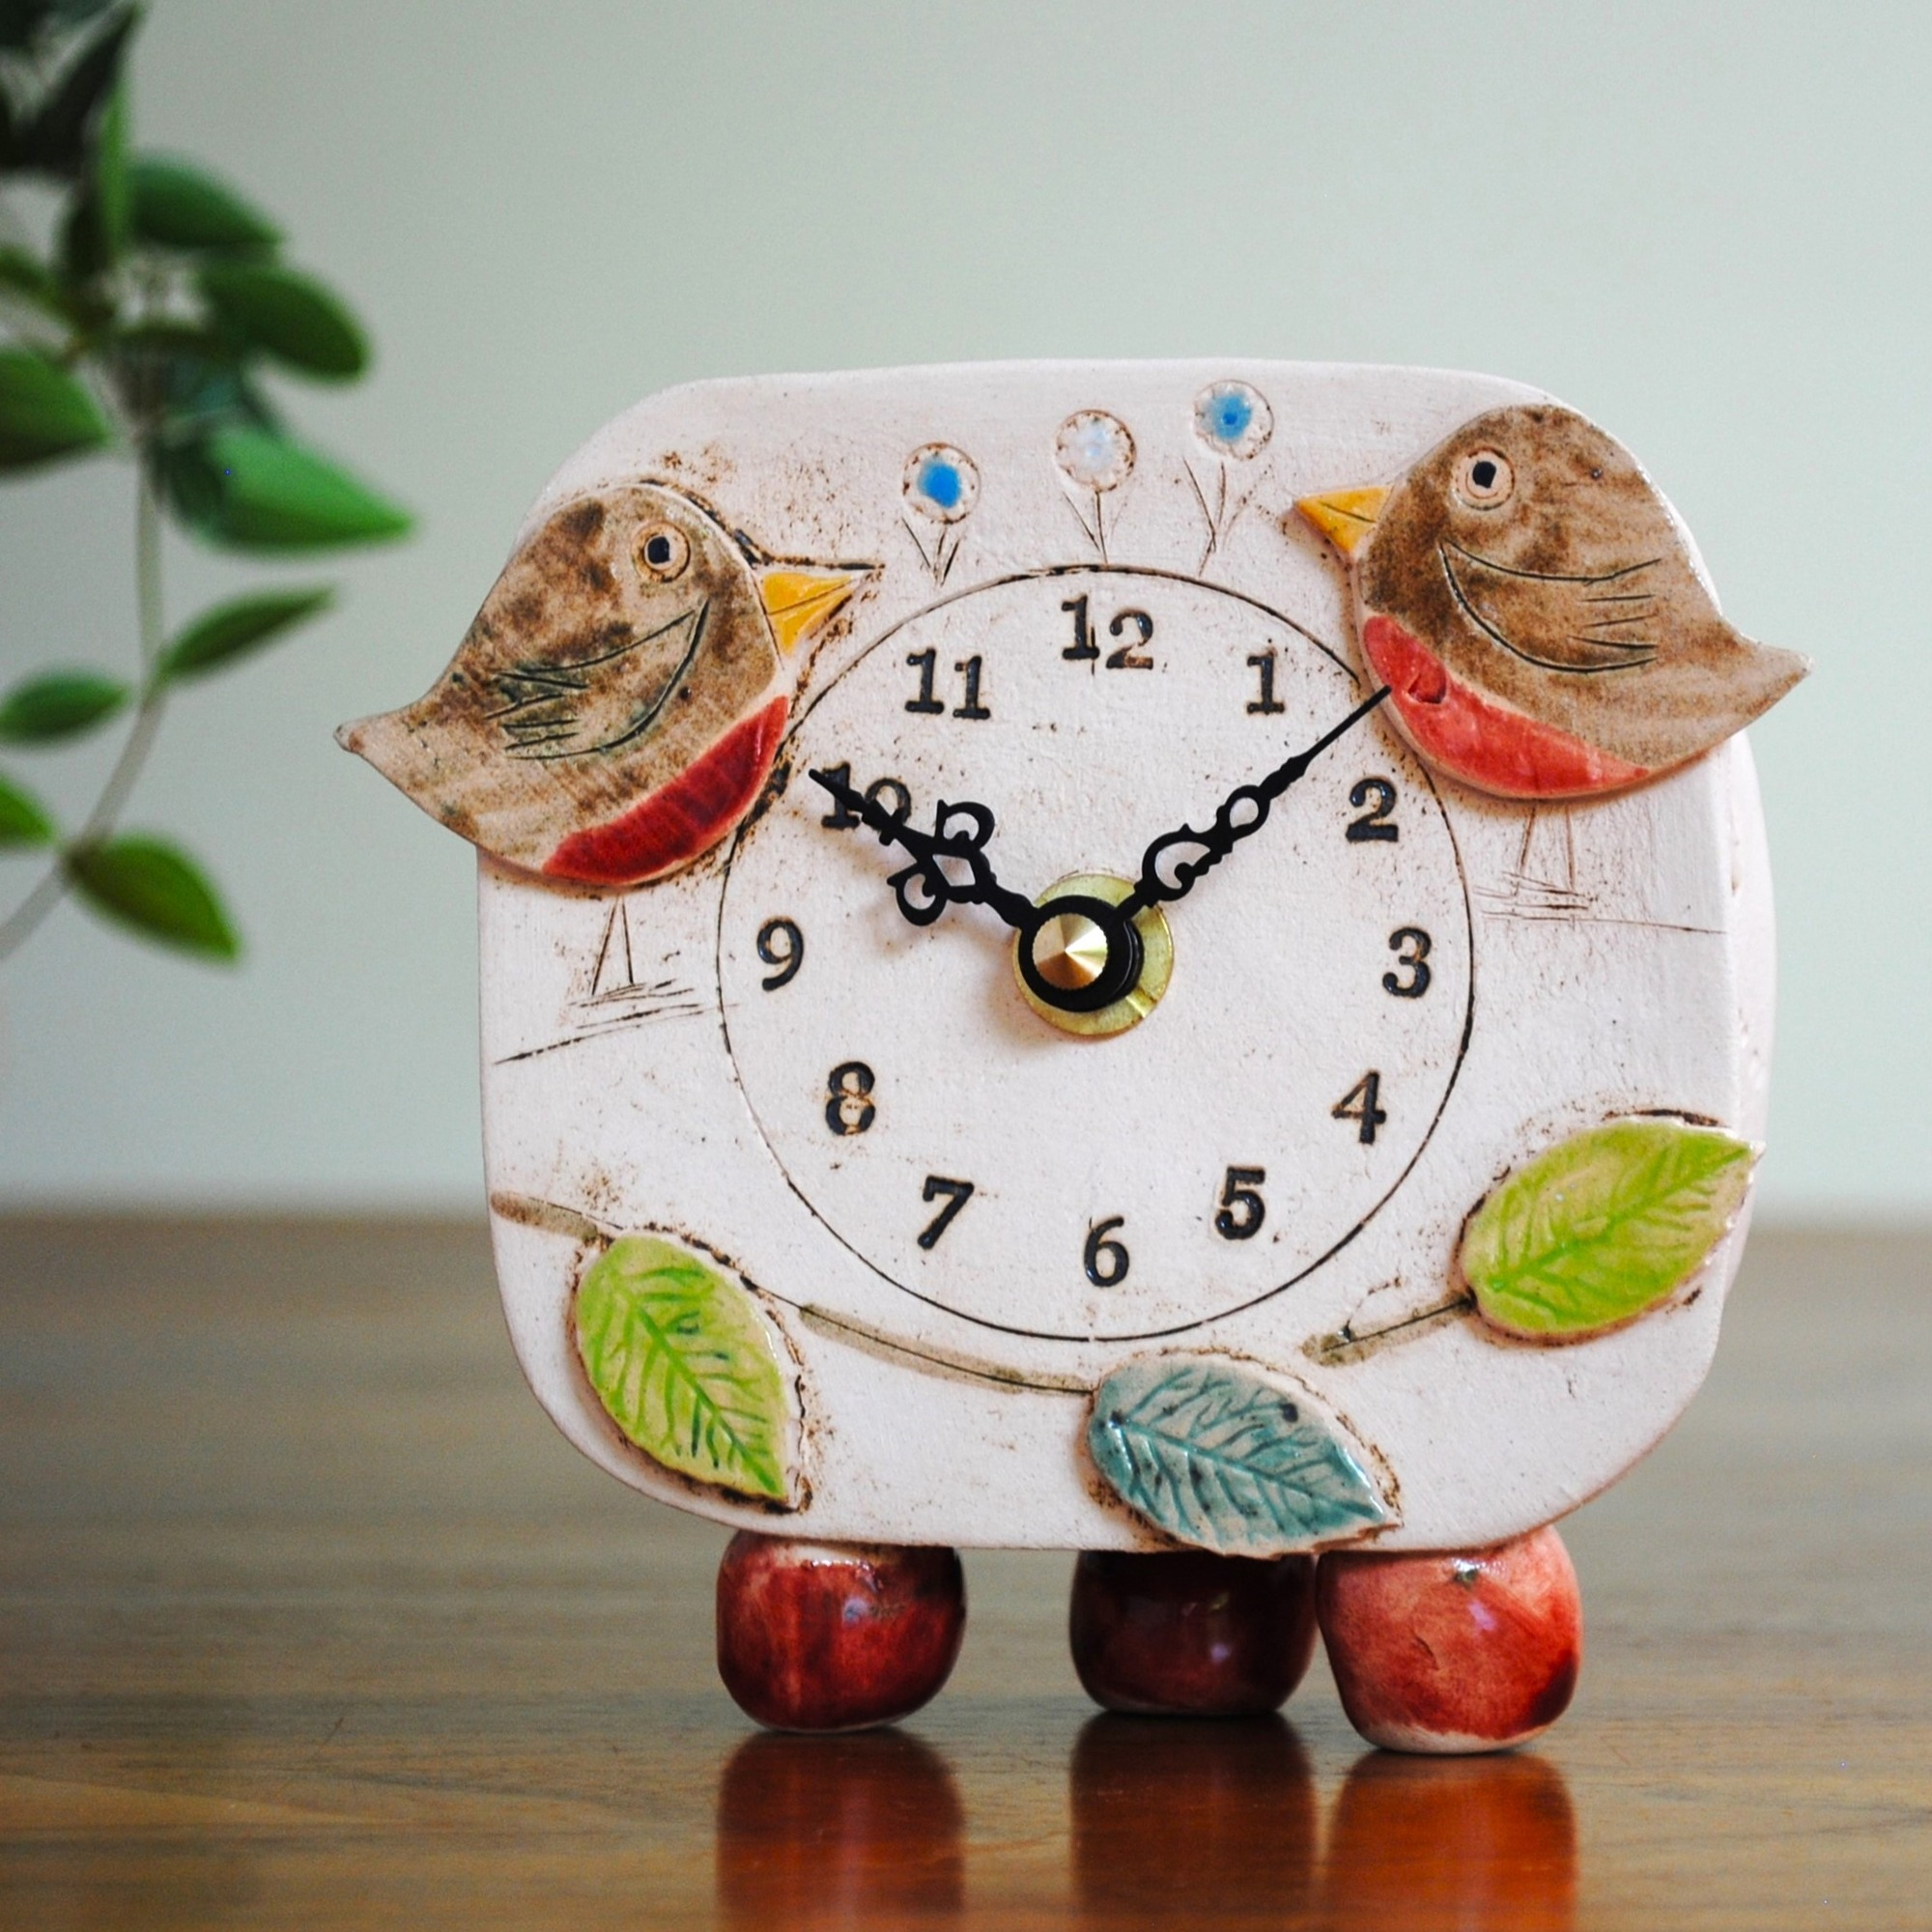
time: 10:07
